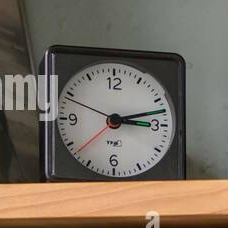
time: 3:12
